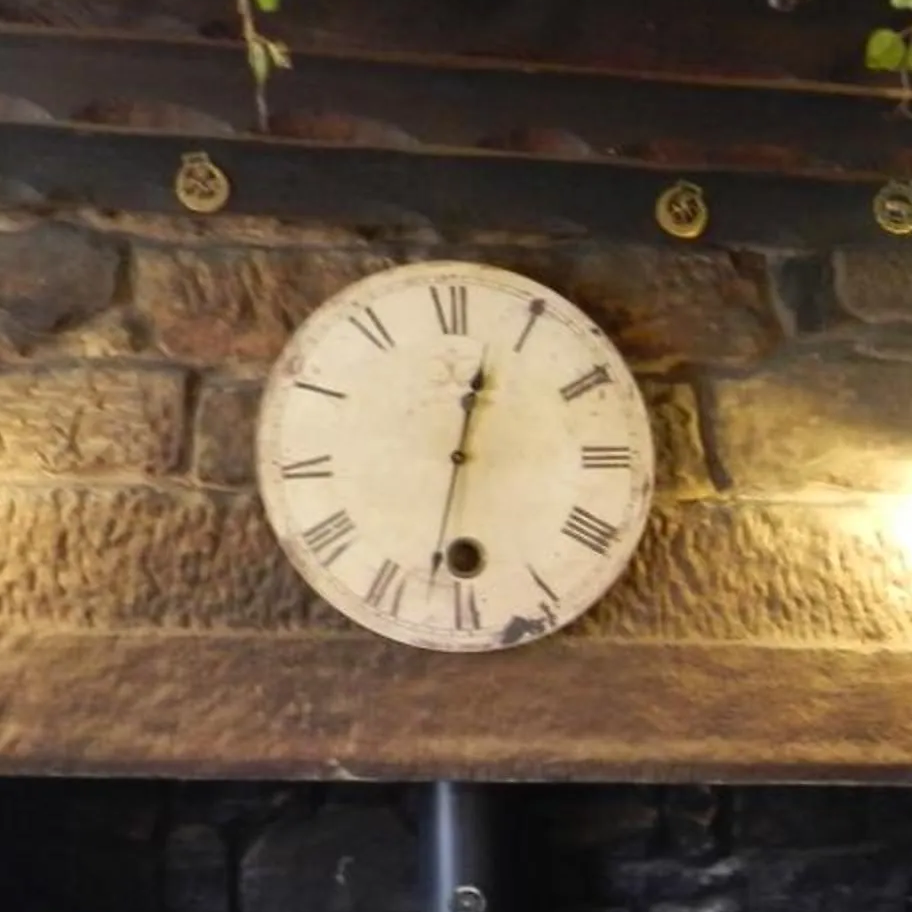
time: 12:32
